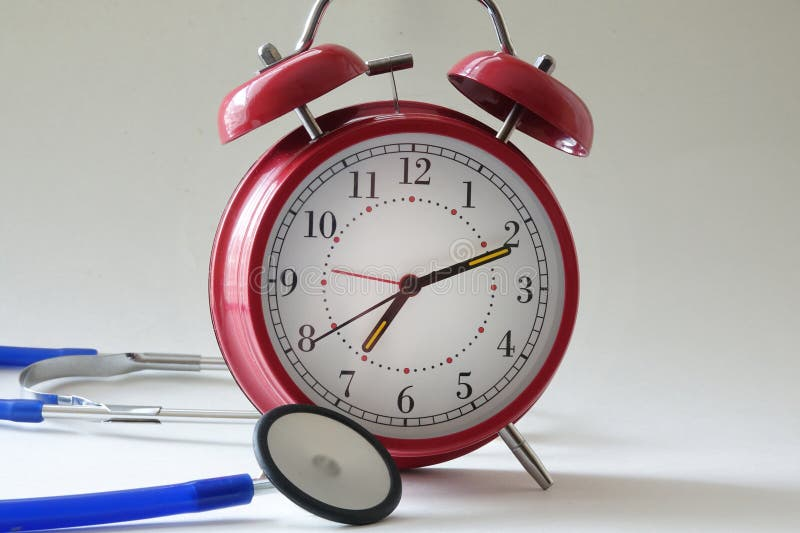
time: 7:11
